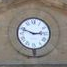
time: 2:48
